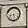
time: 8:27
